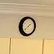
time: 1:38
